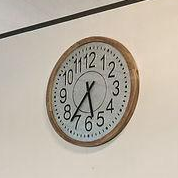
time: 5:36
